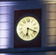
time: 6:18
